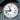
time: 11:42
